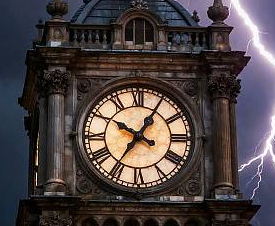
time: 10:05
